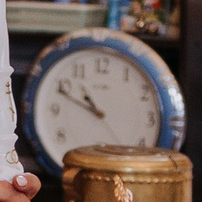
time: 10:49
